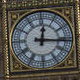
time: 12:15
